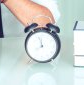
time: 7:57
